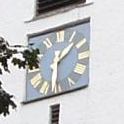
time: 1:30
